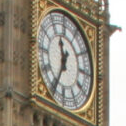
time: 11:34
